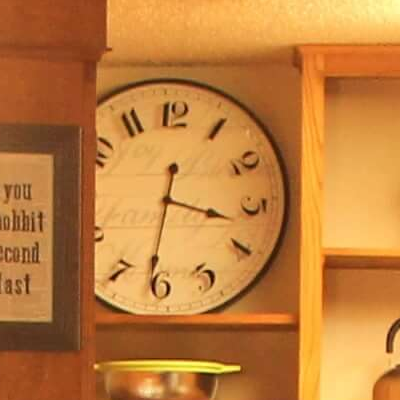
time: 3:31
